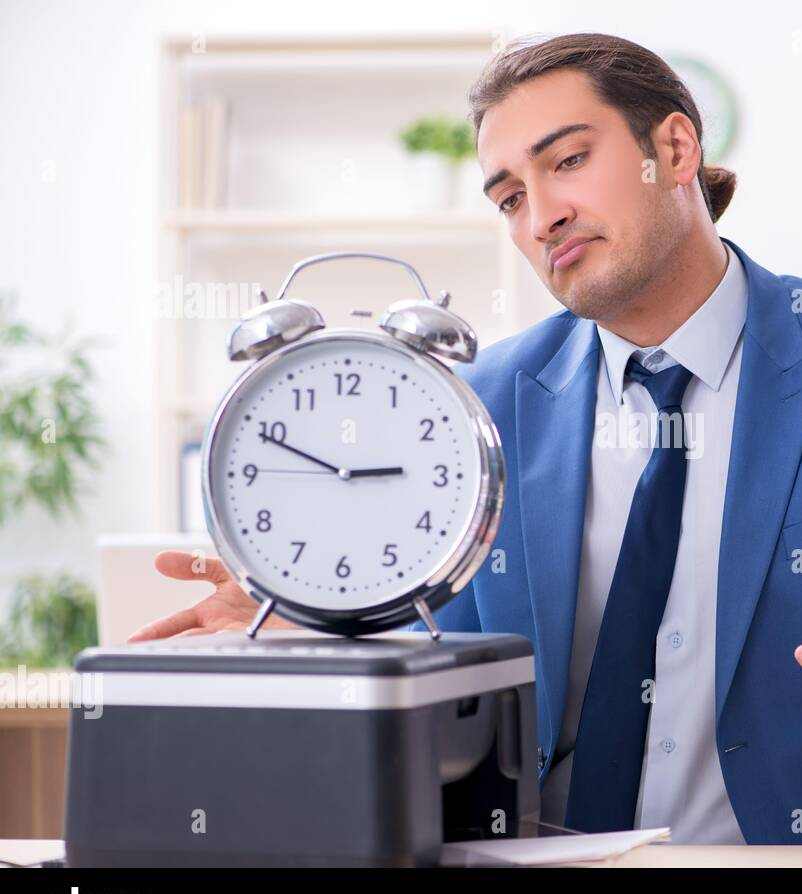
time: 2:49
